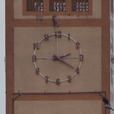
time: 2:20
